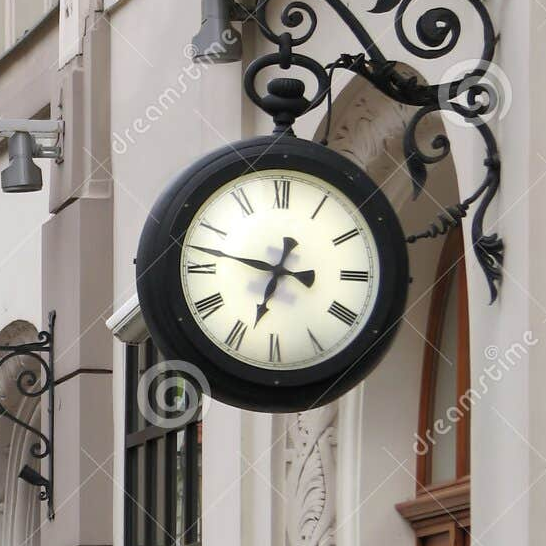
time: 6:47
